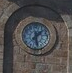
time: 1:28
